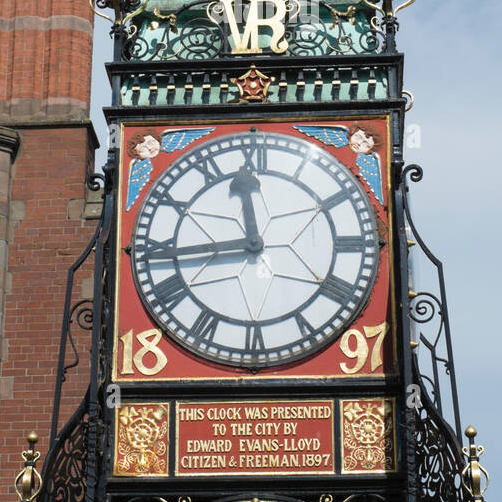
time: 11:43
